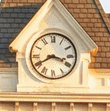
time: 3:40
